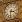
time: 3:31
